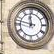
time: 11:47
